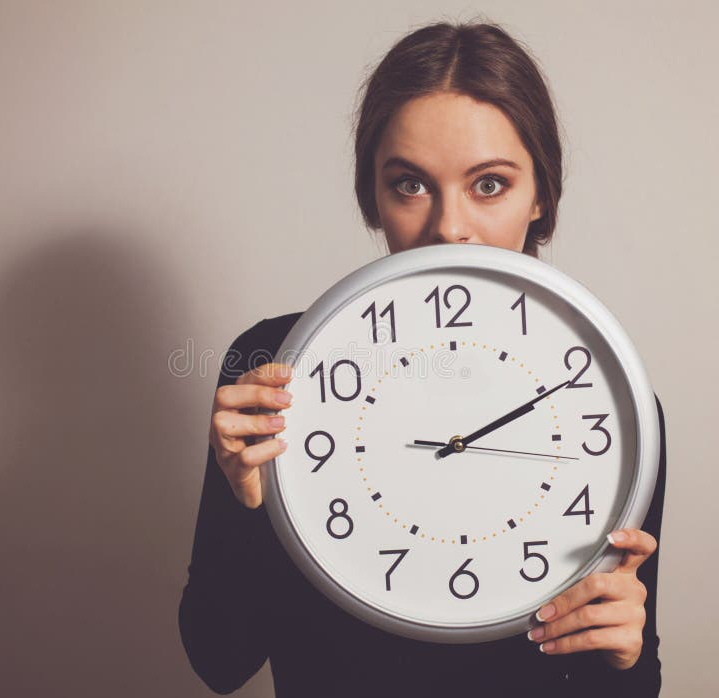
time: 2:10
